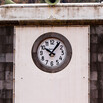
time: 10:06
